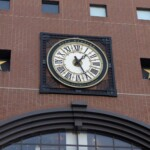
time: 1:25
